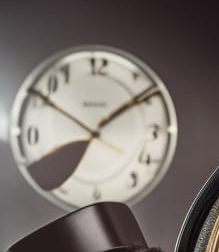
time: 7:08
